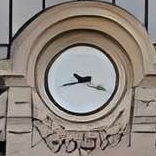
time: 3:42
